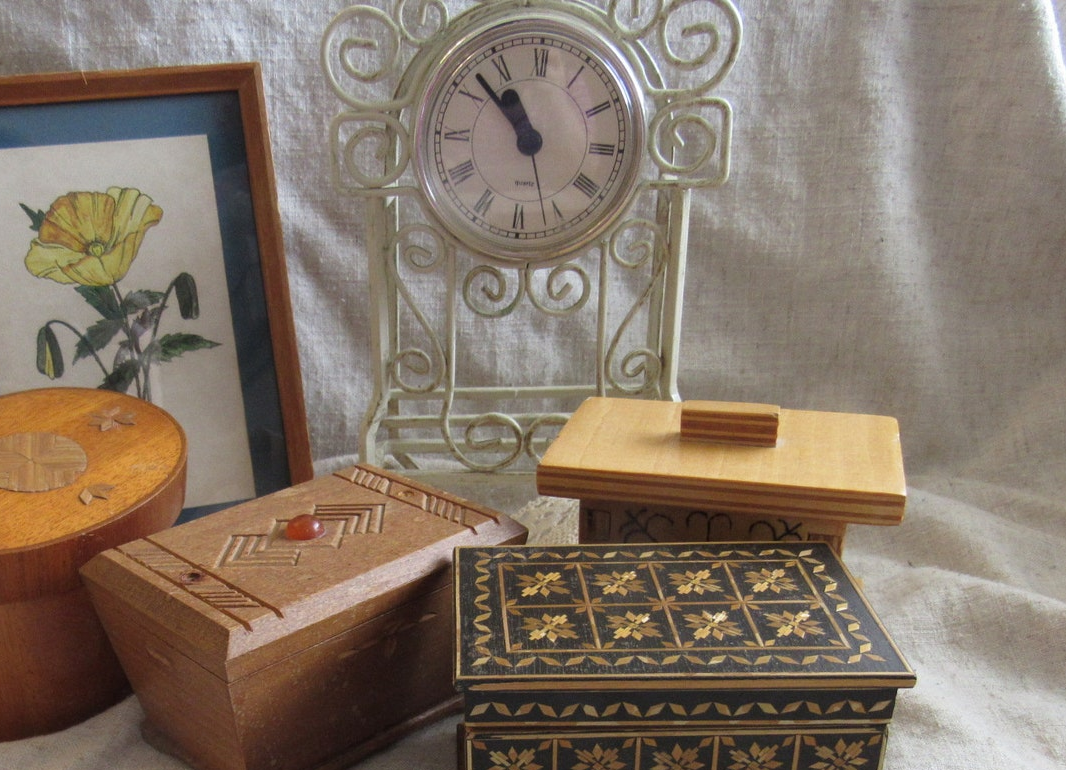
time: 10:52
